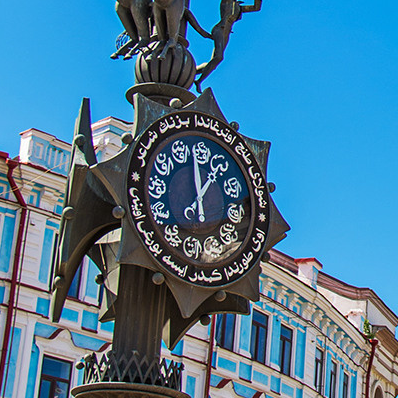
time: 12:58
